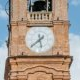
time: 5:38
